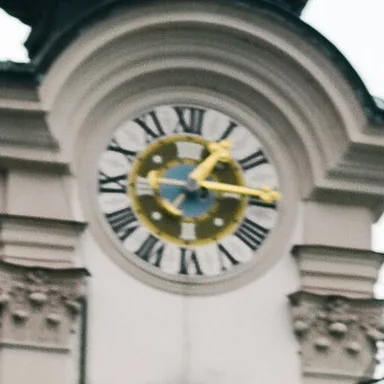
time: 1:16
